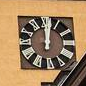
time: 12:02
